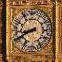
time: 8:40
